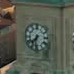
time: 7:32
